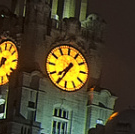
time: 7:34
